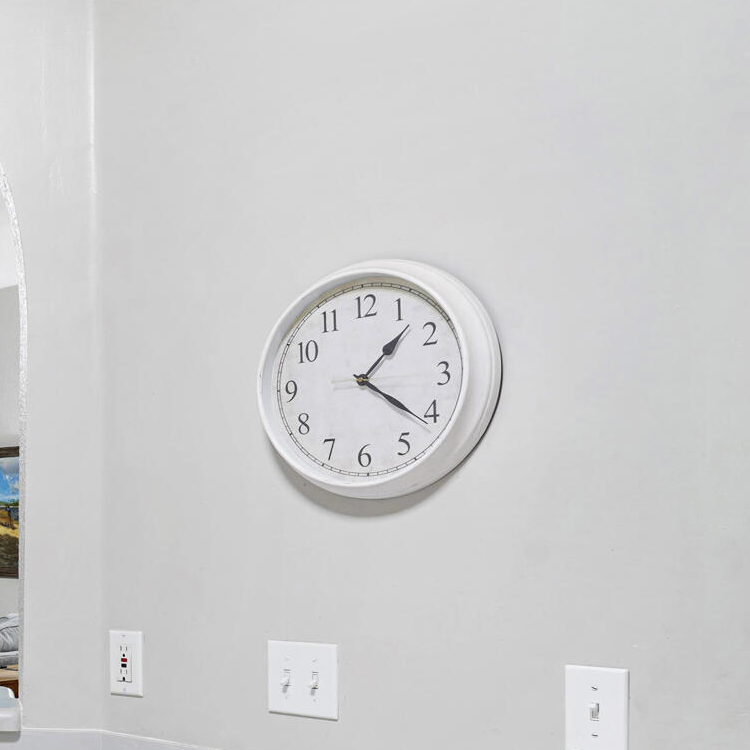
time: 1:21
